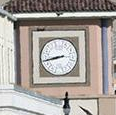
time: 8:44
